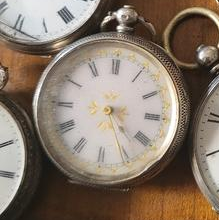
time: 4:25
